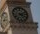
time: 4:12
